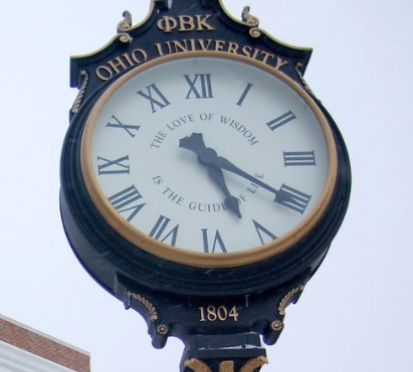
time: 5:20
